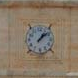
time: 1:08
